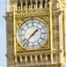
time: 1:37
